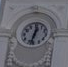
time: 12:32
